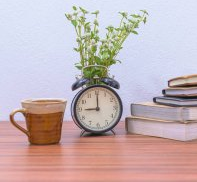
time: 9:00
